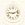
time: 9:12
